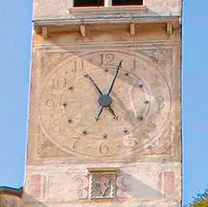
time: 11:03
